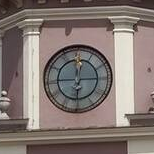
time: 12:14
